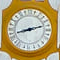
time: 8:11
